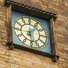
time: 1:28
